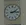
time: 2:15
